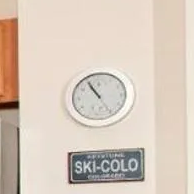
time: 10:55
